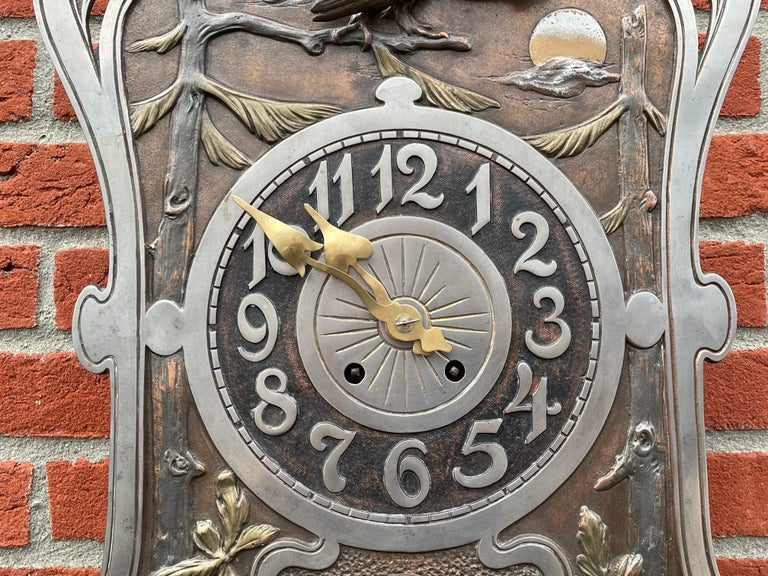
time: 3:52
